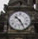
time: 10:24
